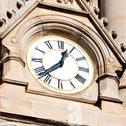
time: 12:38
